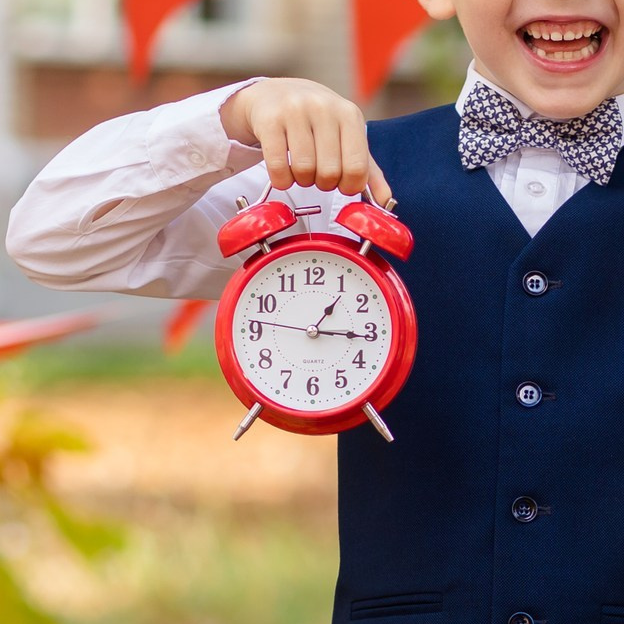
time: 1:15
